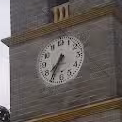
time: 7:35
